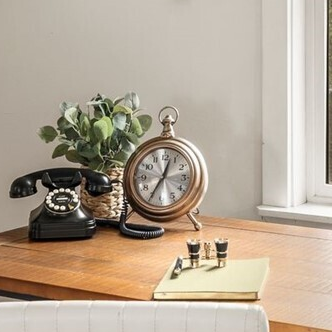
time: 12:34
